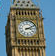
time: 3:11
